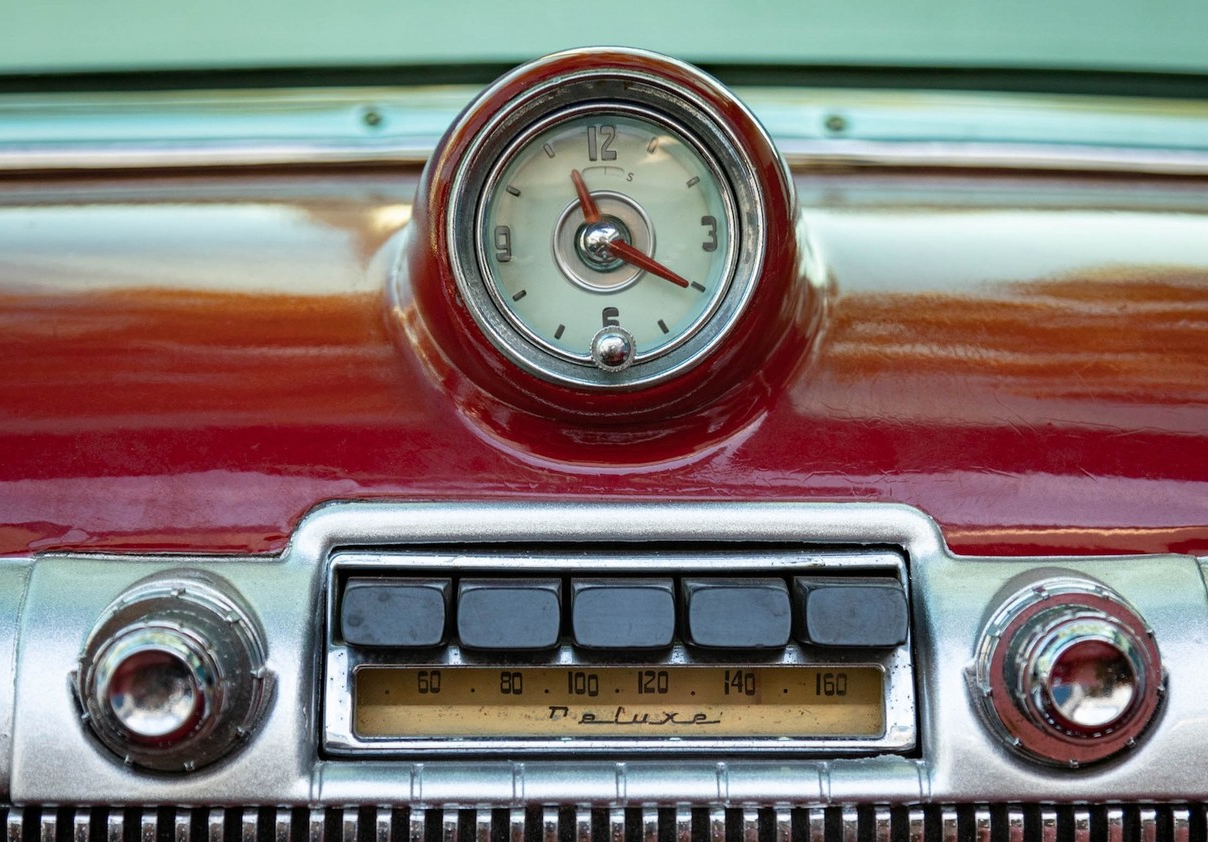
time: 11:20
